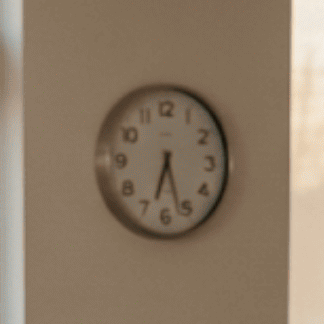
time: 6:26
